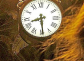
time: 8:29
